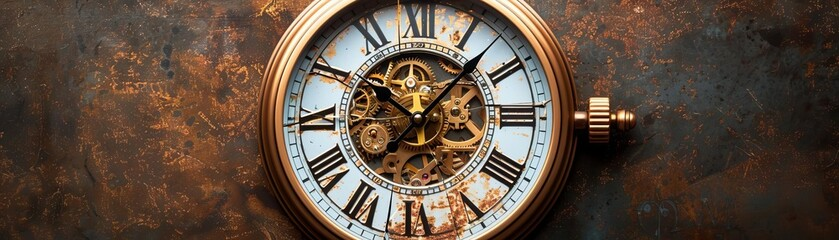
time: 10:07
